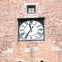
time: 11:35
